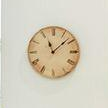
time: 11:08
